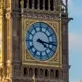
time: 4:16
